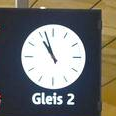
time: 10:56
